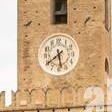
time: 5:39
